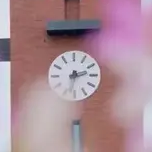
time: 2:32
